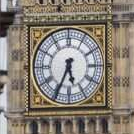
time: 5:34
